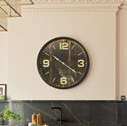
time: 10:20
